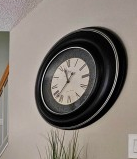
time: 11:37
